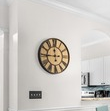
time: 11:45
